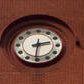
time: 2:30
